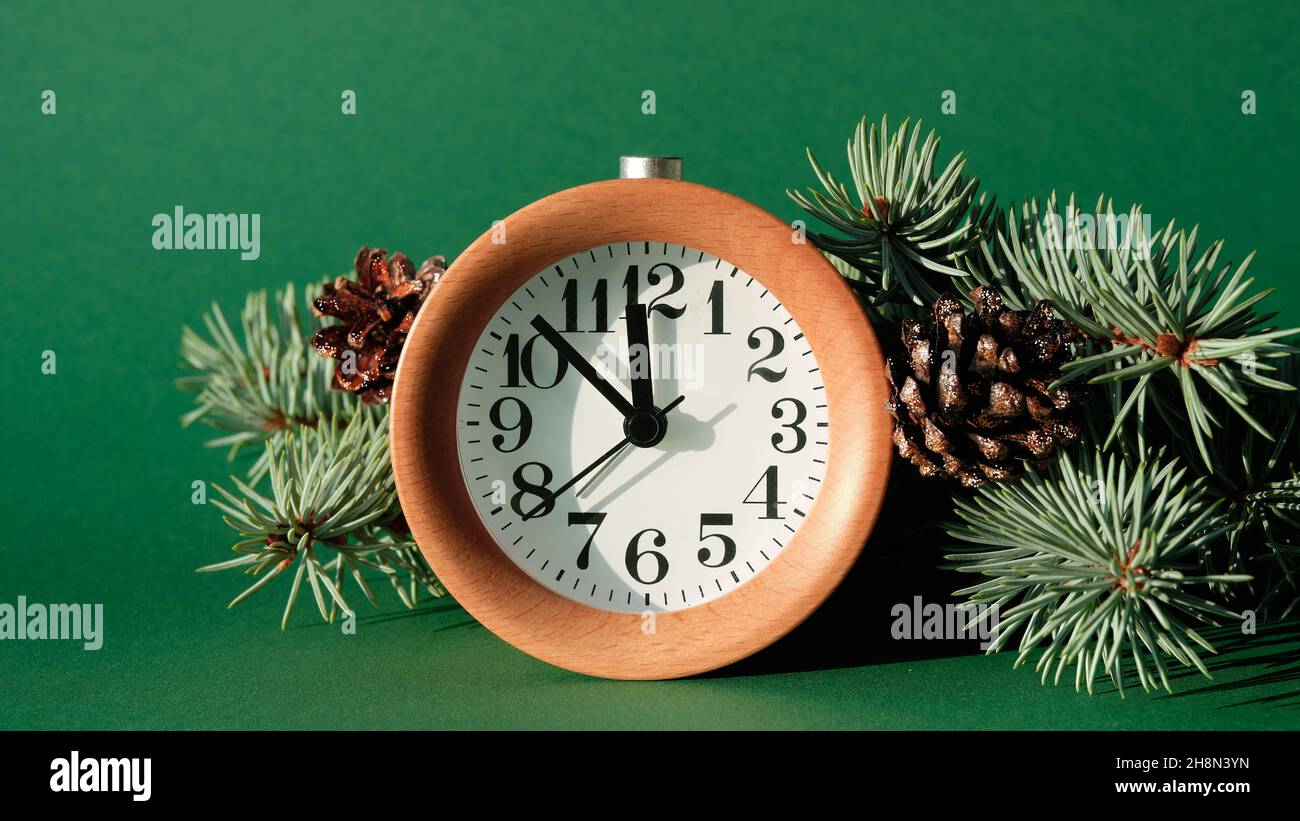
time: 11:52
